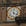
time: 4:01
